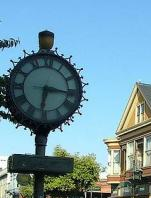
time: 6:16
